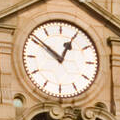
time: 12:51
